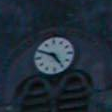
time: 4:49
